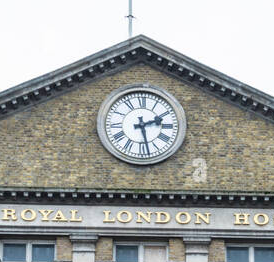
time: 2:27
